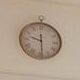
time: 9:29
